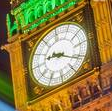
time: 9:20
